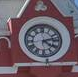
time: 4:12
